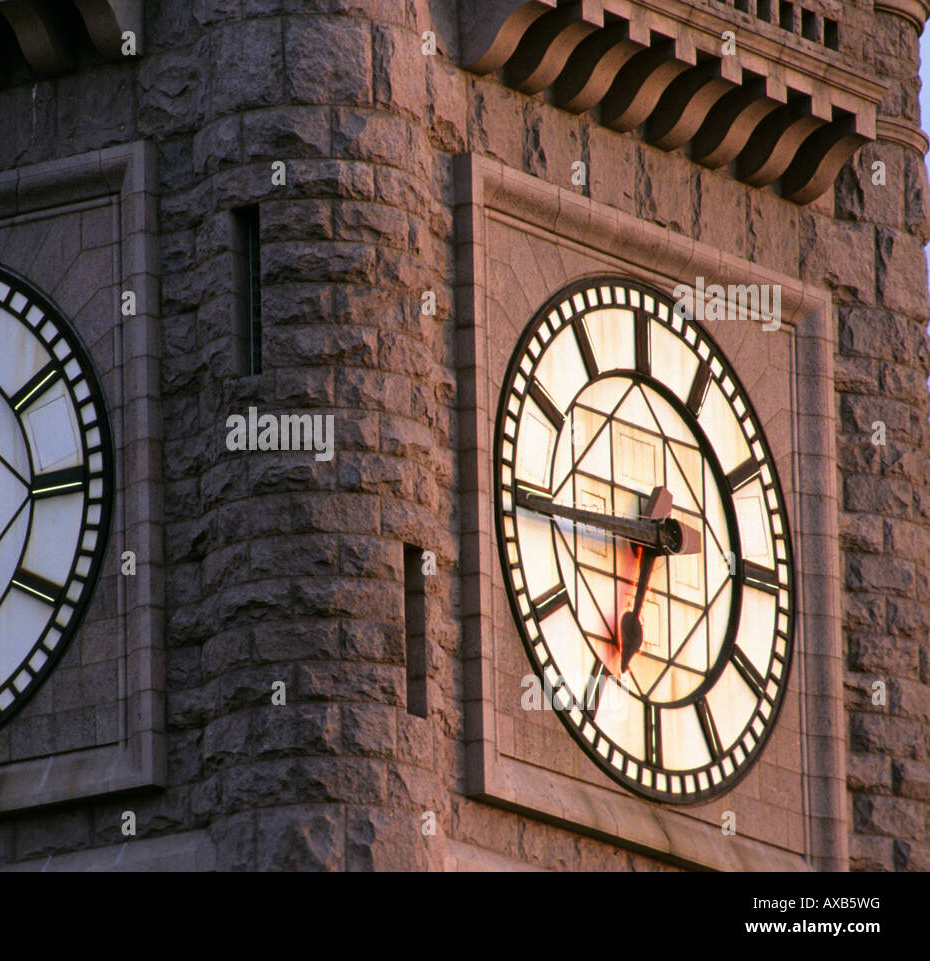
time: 6:44
